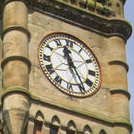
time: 11:24
